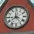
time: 7:58
